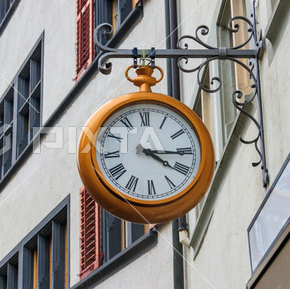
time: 4:15
